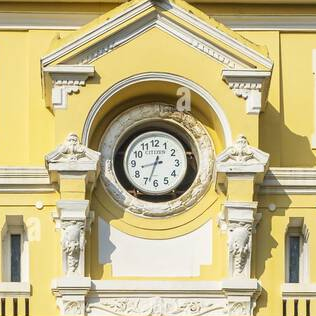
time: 12:33
